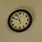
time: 9:56
